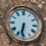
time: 6:31
